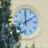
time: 2:00
